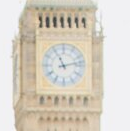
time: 11:12
